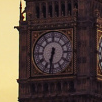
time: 6:32
